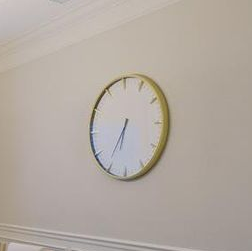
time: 6:36
